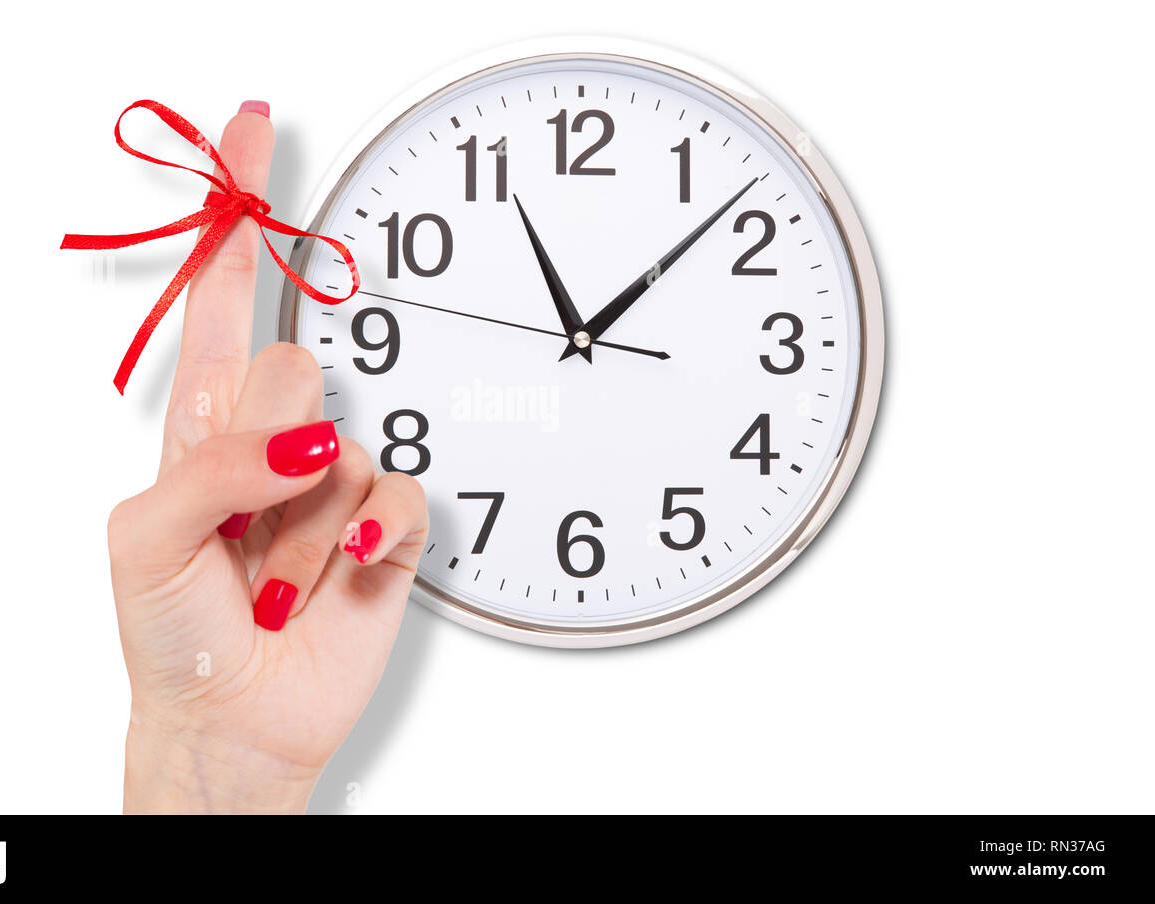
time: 11:07
